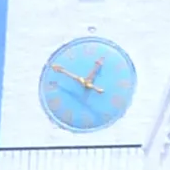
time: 12:49
